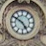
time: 4:50
